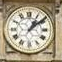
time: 1:08
